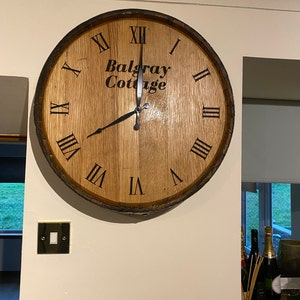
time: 8:00
